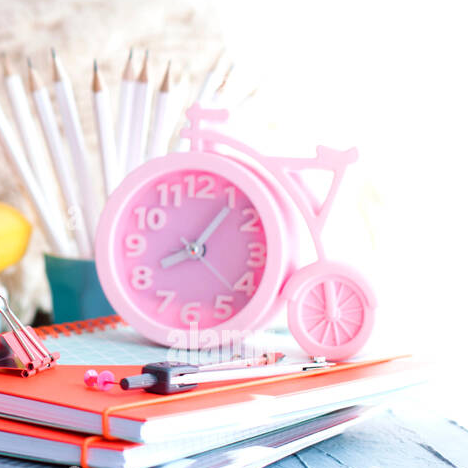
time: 8:06
